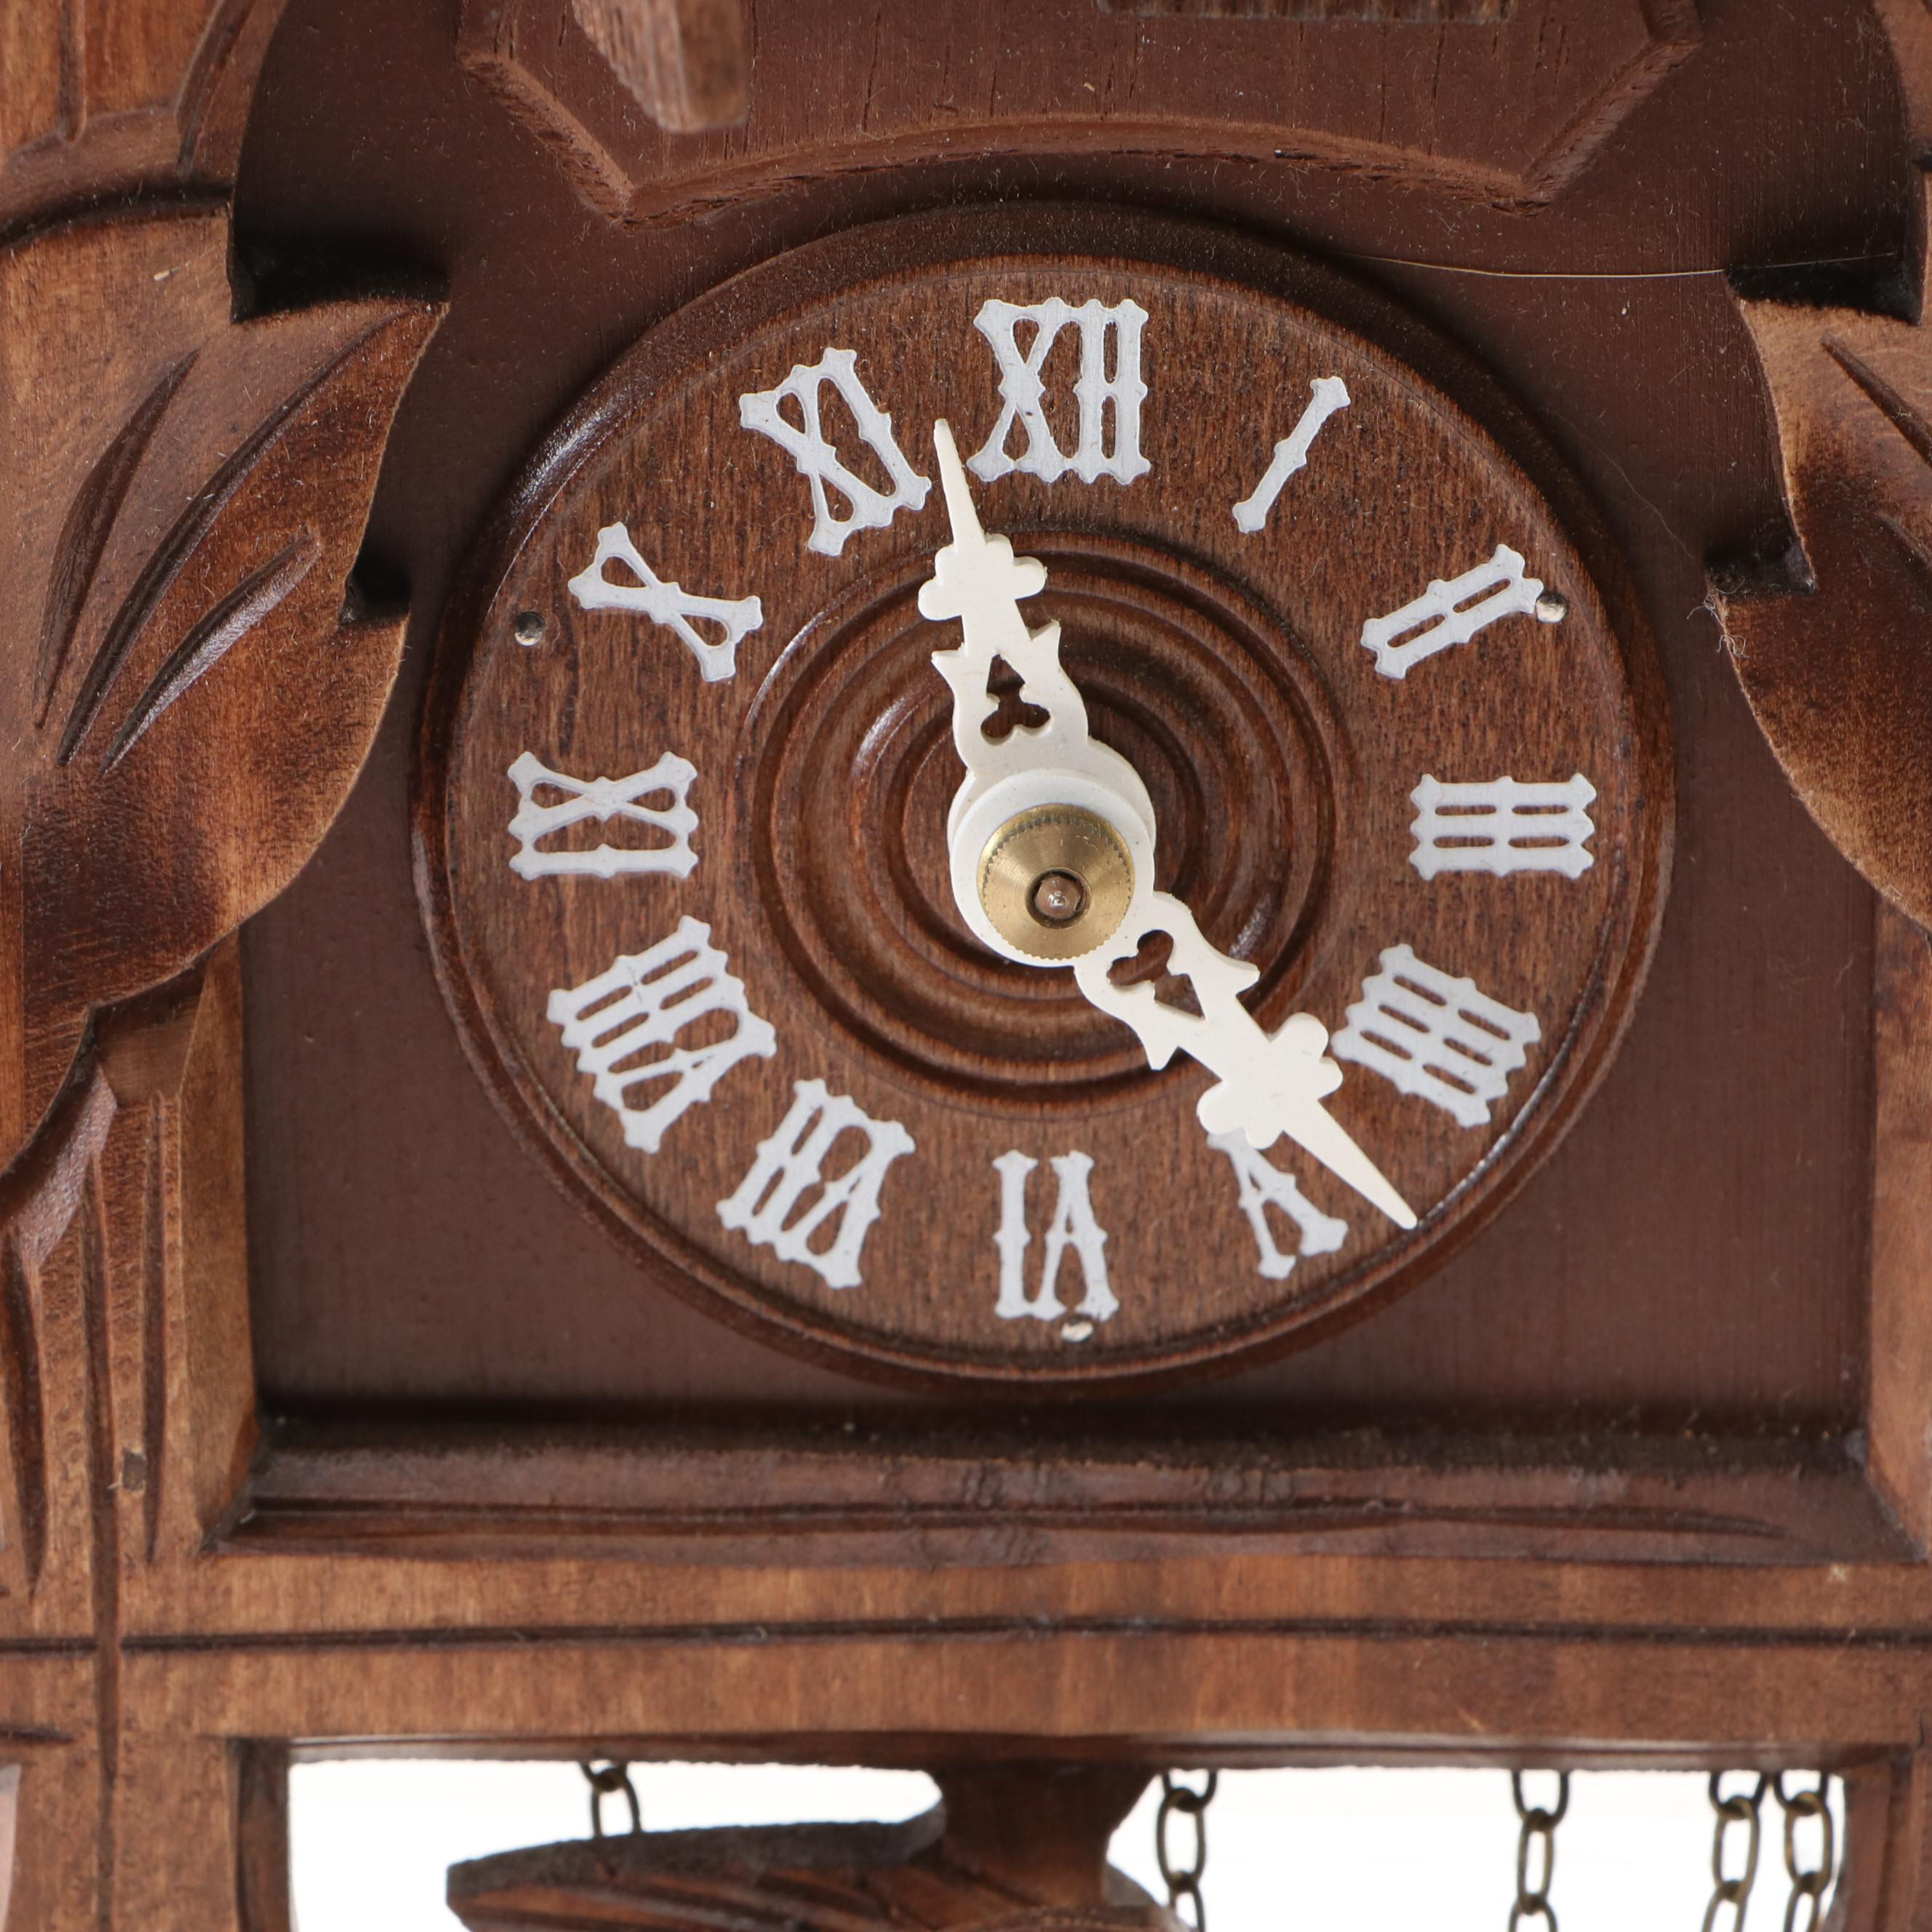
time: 11:23
